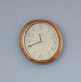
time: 11:41
